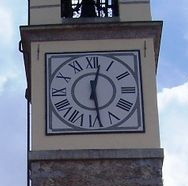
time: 12:28
